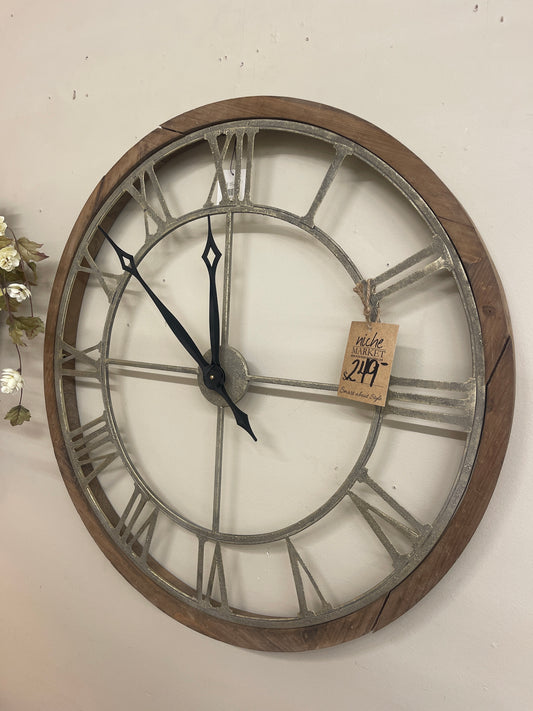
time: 11:51
